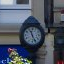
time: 11:25
